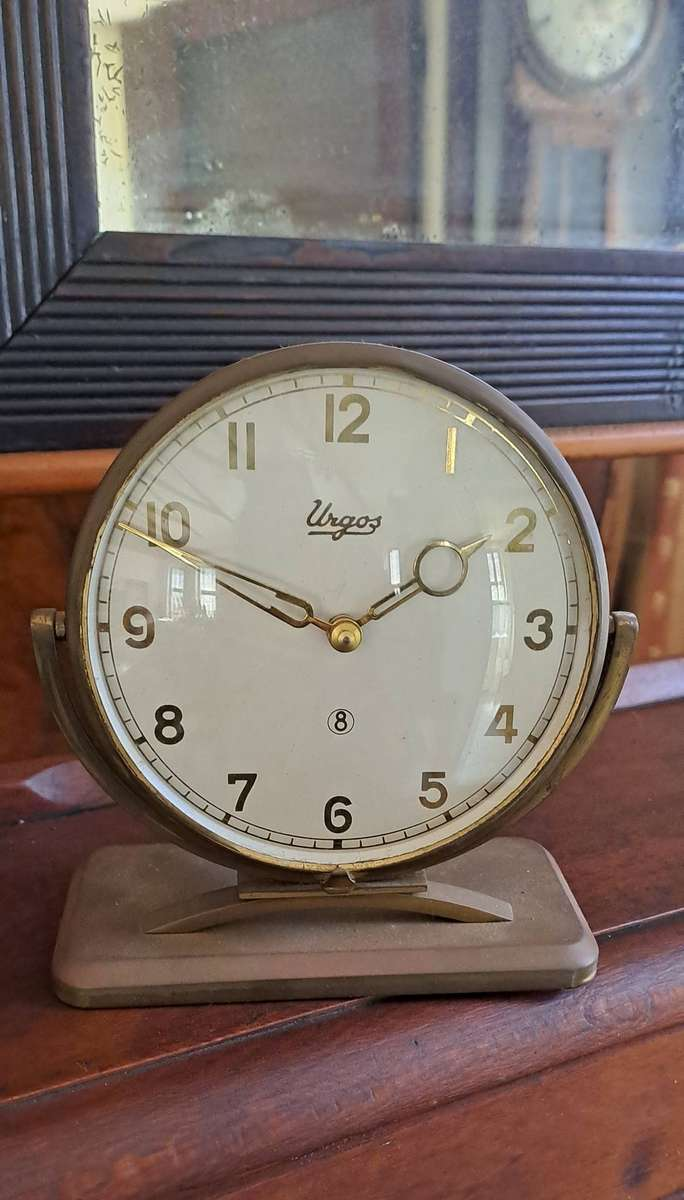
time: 1:48
